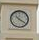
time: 10:20
